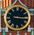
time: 3:16
